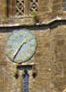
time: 1:35
